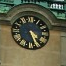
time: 4:26
